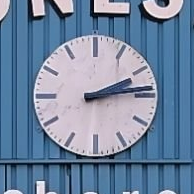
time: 2:13
